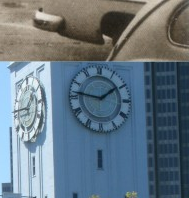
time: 1:46
